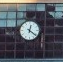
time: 12:21
